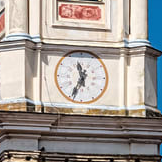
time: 11:34
